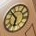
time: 5:51
